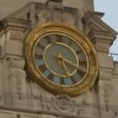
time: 5:18
